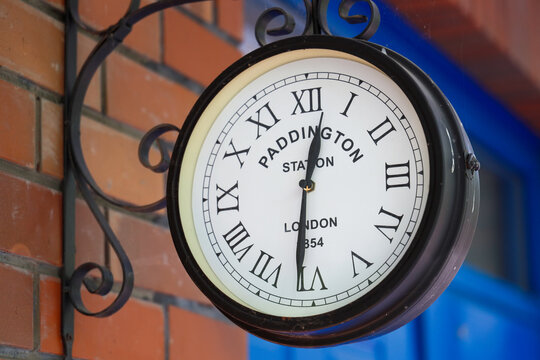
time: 12:31
